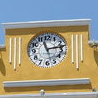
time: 11:13
